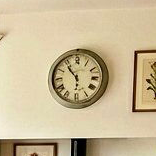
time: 5:53
